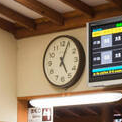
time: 5:04
